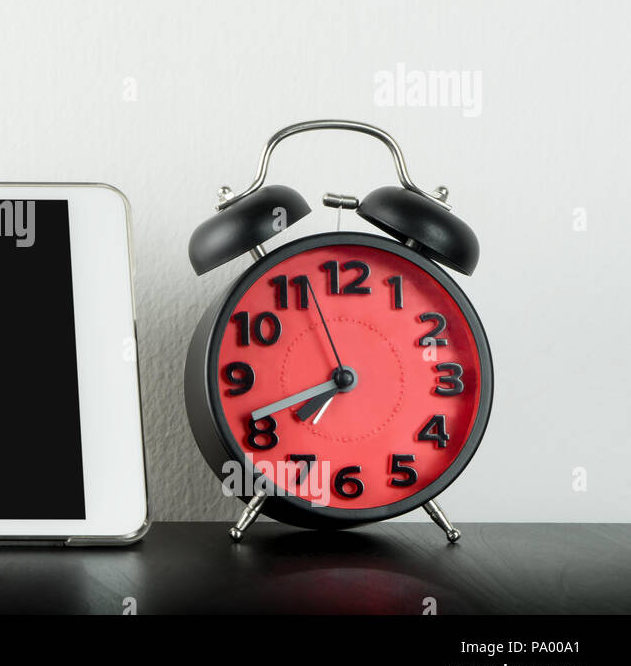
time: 7:41
